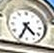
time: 4:34
